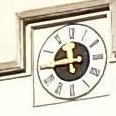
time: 11:44
